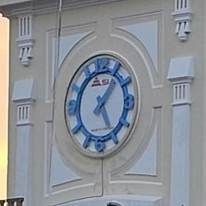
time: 5:05
